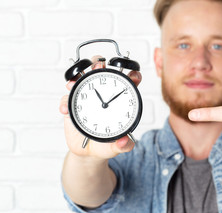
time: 11:09
